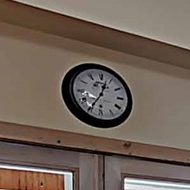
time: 12:35
